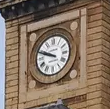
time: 9:48
